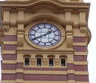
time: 1:41
